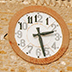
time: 2:27
